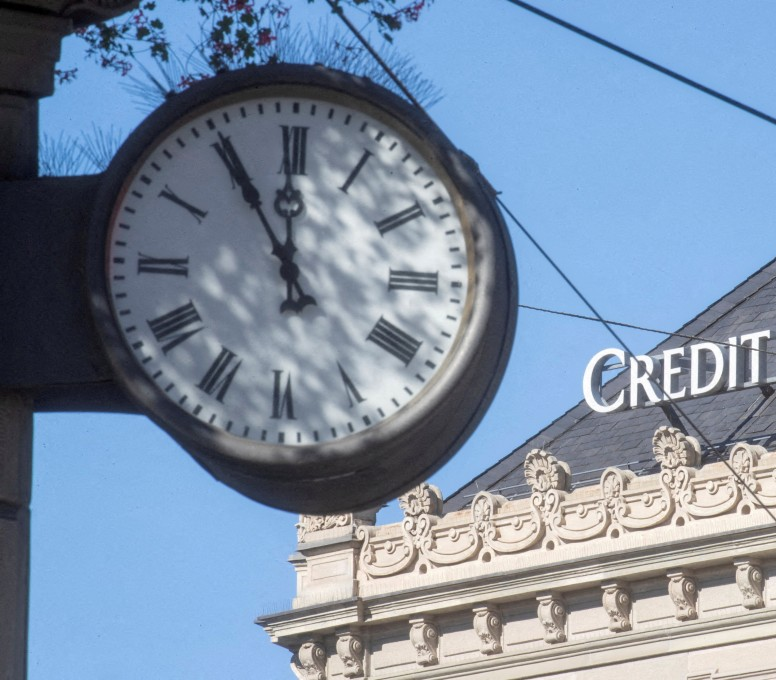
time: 11:55
